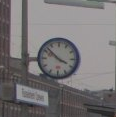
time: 3:52
